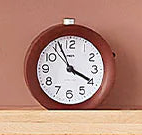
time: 3:55
